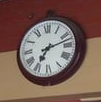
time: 7:12
